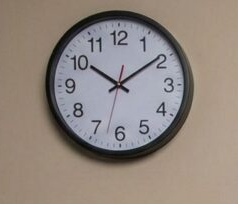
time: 10:09
